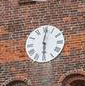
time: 6:01
